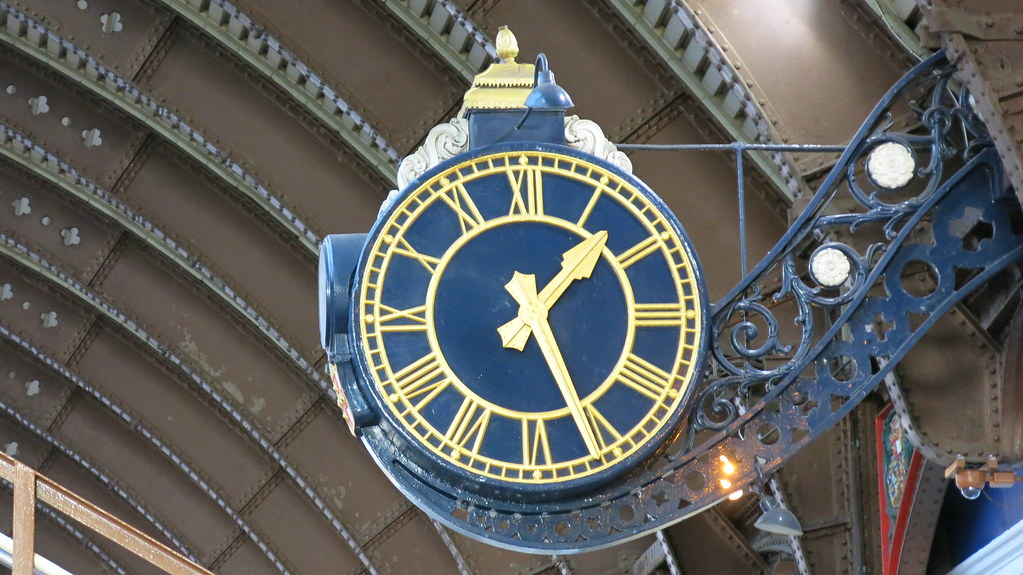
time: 1:25
